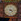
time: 4:14
